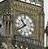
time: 10:39
